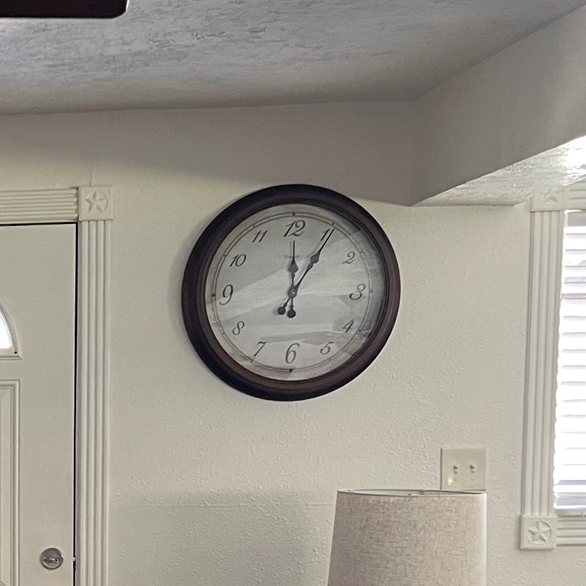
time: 12:05
